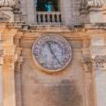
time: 11:24
